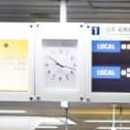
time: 10:17
